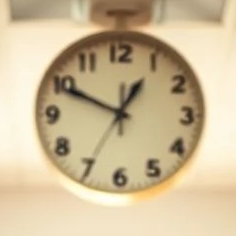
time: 12:49
